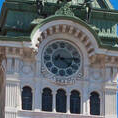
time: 4:14
